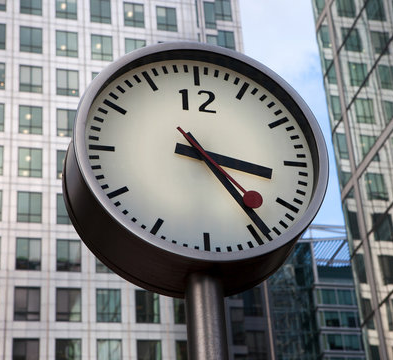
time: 3:23
